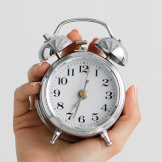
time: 12:33
